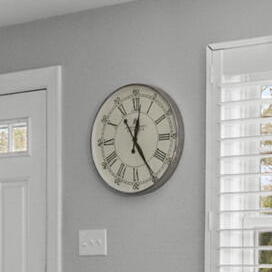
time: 12:24
